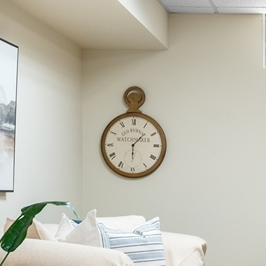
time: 1:30
